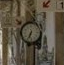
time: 6:34
